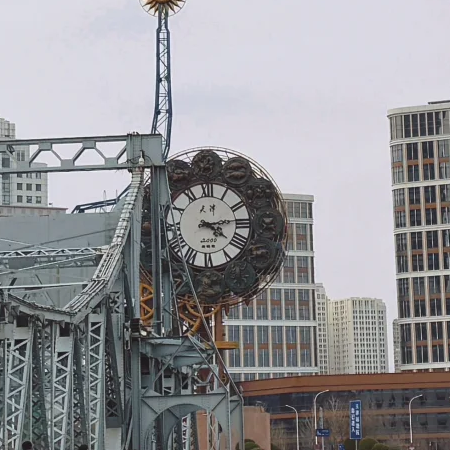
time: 4:13
